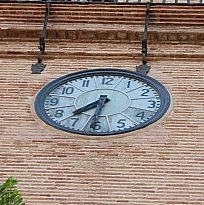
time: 7:31
